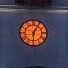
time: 6:05
